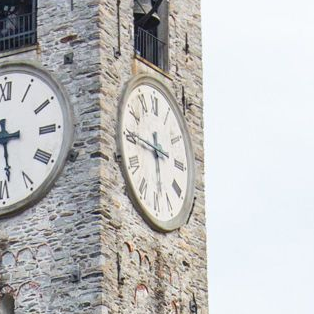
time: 5:45
